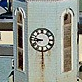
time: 8:47
